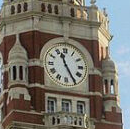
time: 11:25
